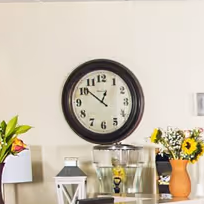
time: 12:51
